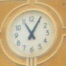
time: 11:04
